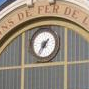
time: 1:36
